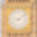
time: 9:09
